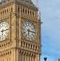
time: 6:14
